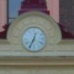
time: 12:34
